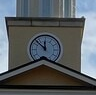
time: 11:52
